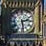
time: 2:29
